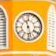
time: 11:28
